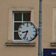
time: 8:33
